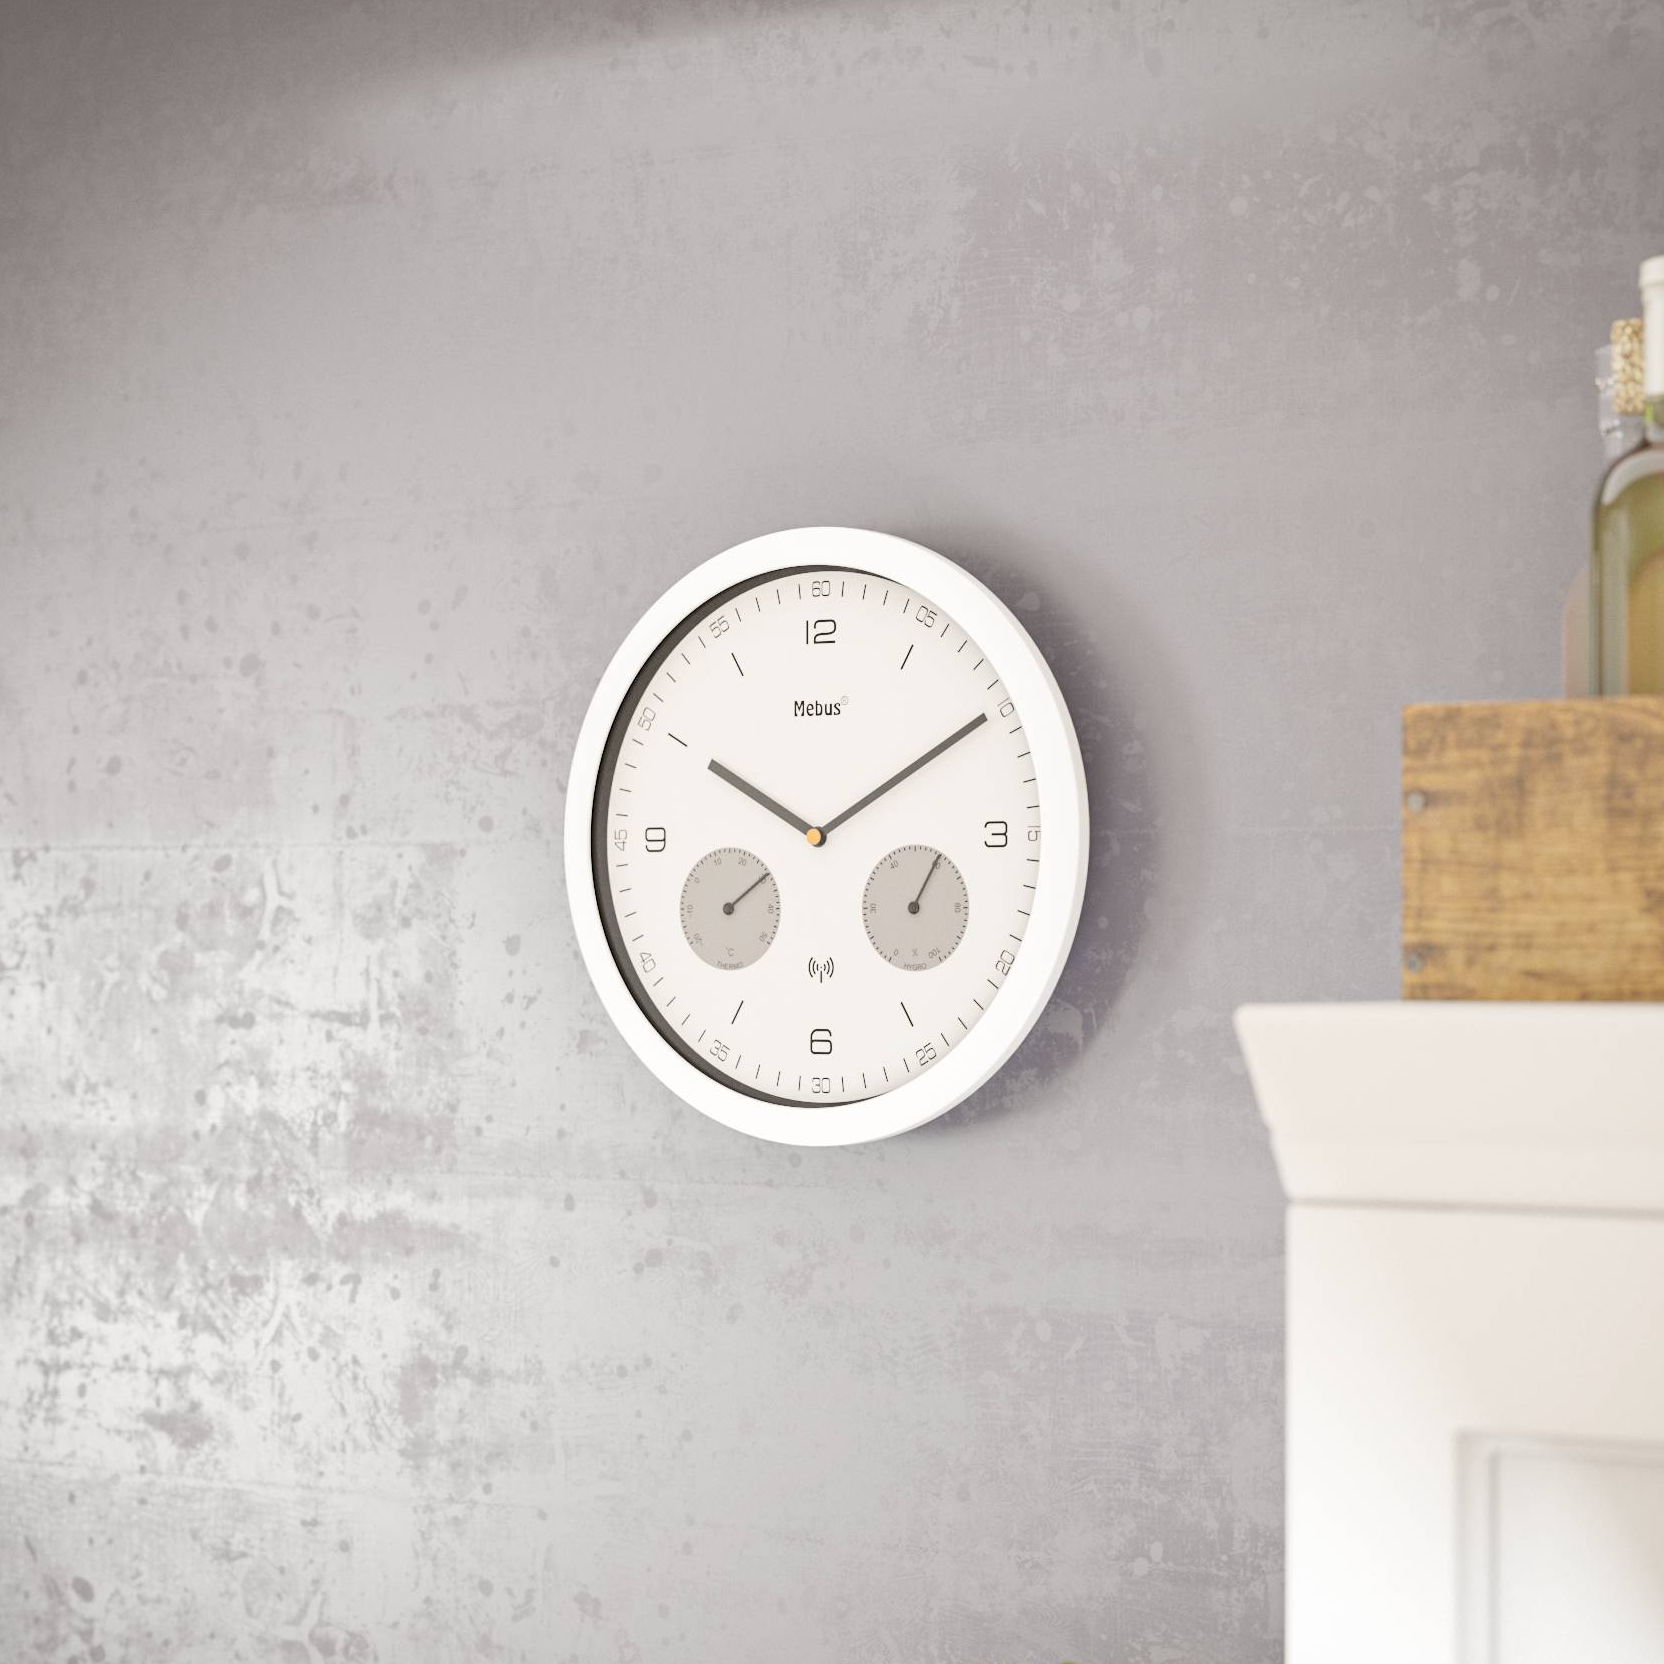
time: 10:09
